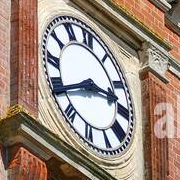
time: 2:39
